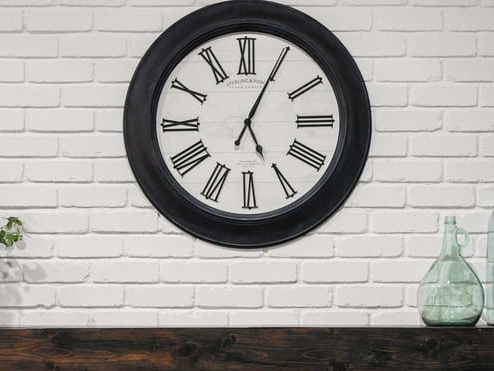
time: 5:04
